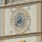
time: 6:36
